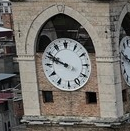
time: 9:48
